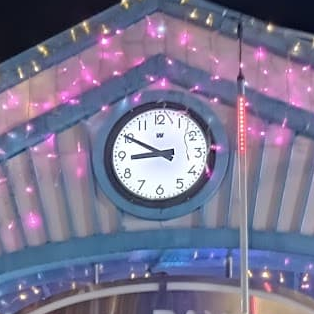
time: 8:49
